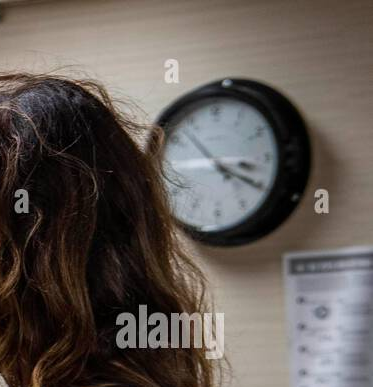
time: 3:20
